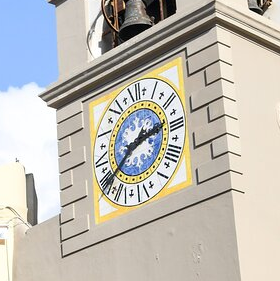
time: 2:38
